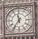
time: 11:35
